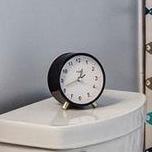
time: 12:41
